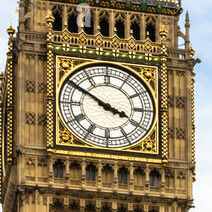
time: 3:50
